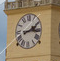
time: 2:15
